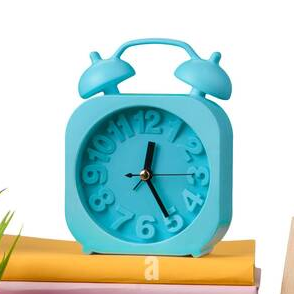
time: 12:25
